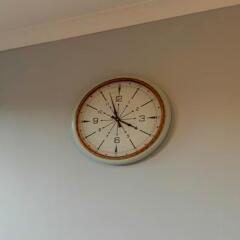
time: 3:57
